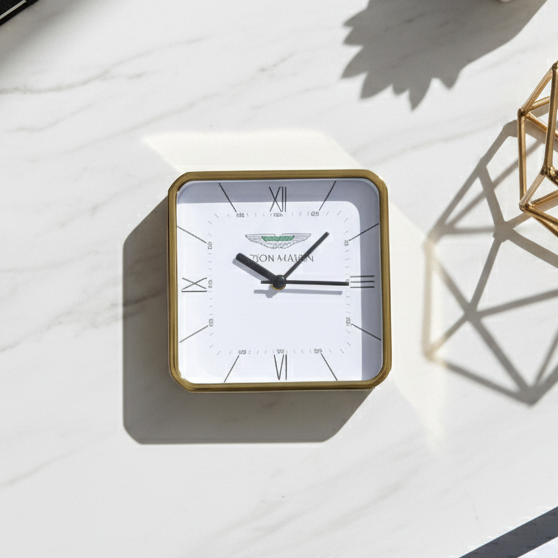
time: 10:07
